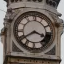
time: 3:39
